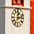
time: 12:12
